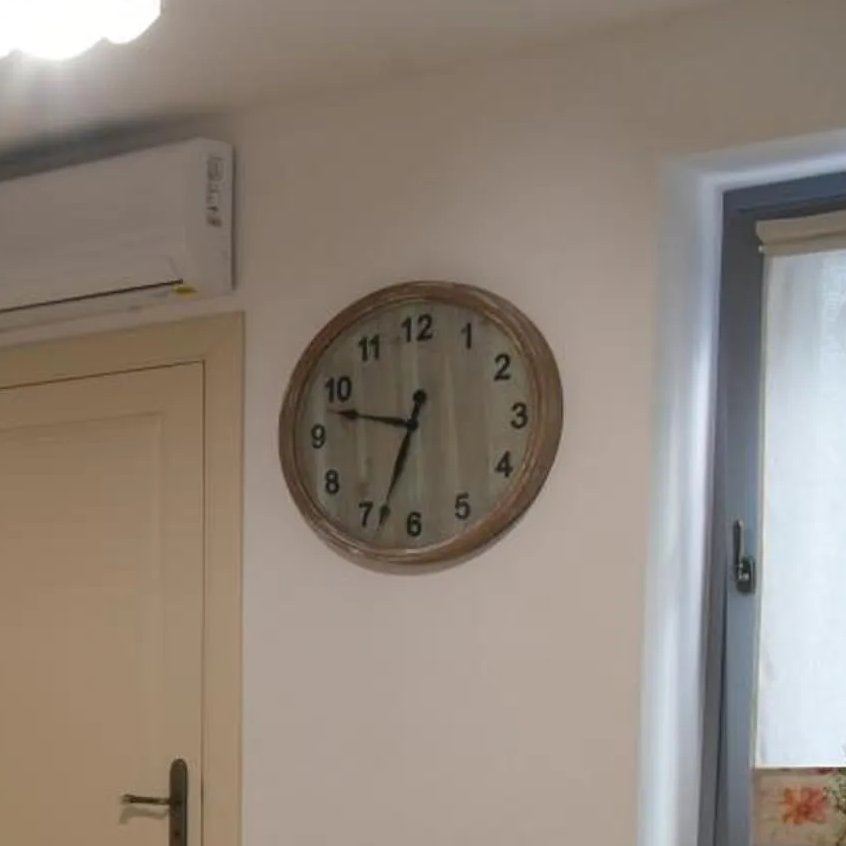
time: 6:47
